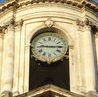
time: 9:15
